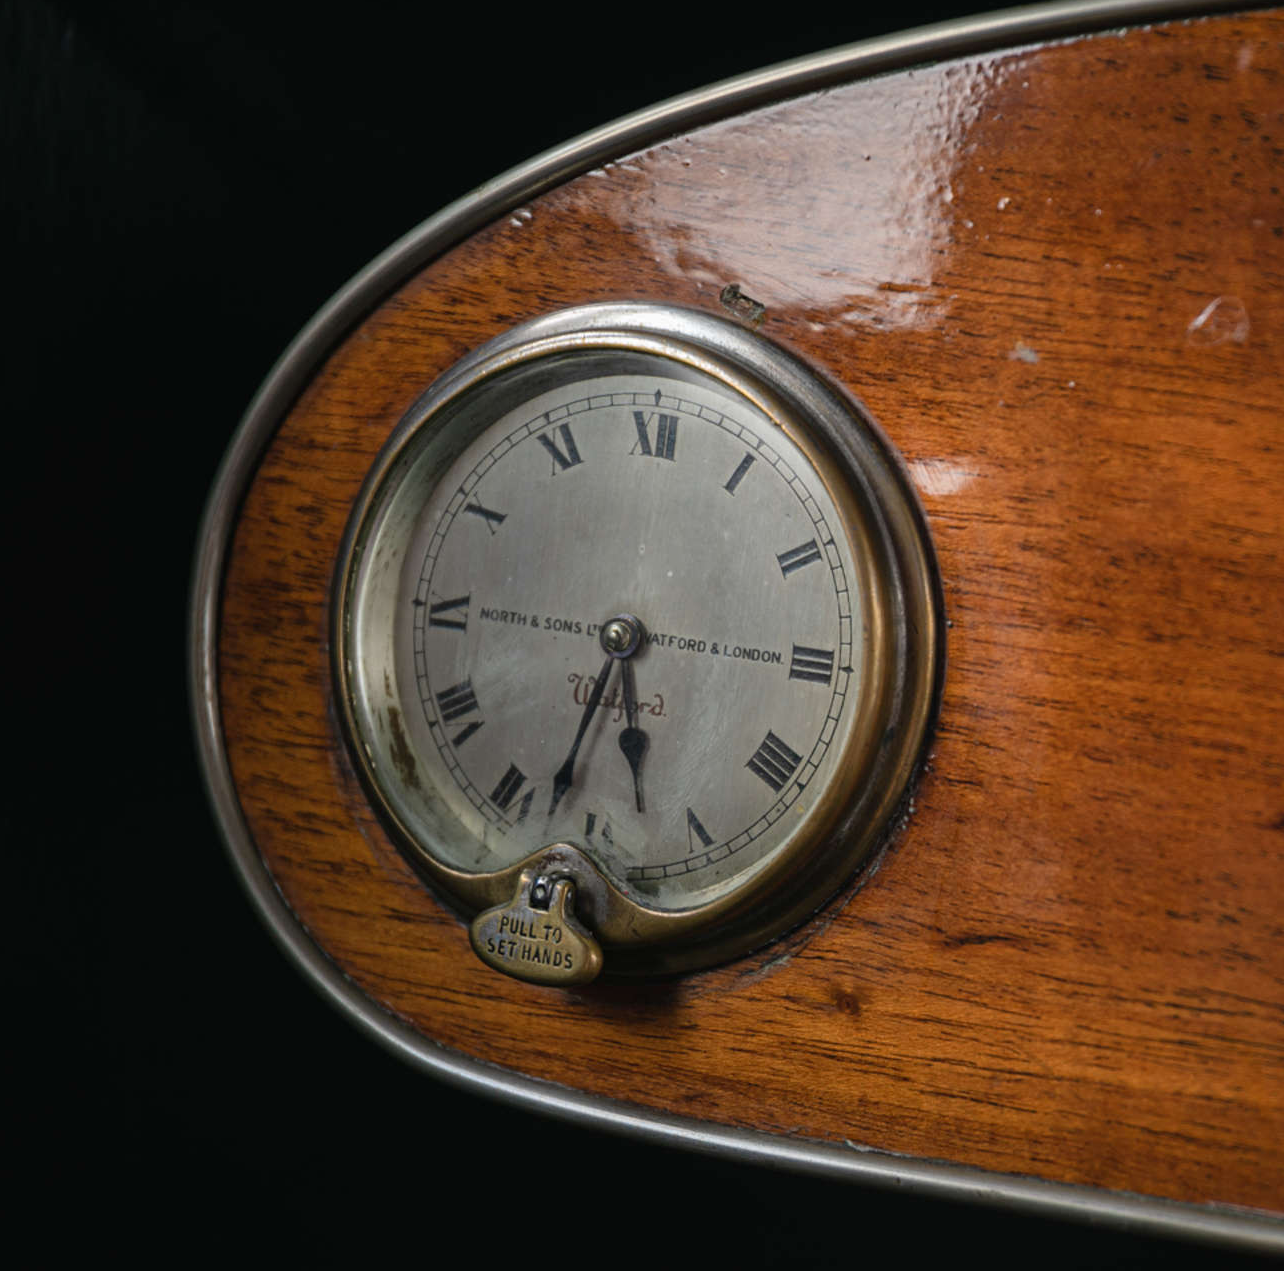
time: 5:33
